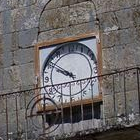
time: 9:50
